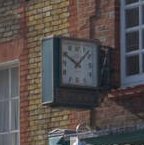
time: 10:07
